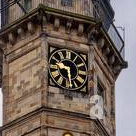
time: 9:28
